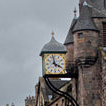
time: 3:58
